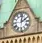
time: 2:01
